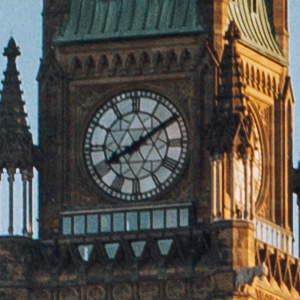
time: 8:09
